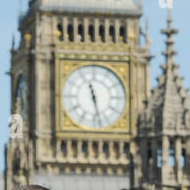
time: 11:28
